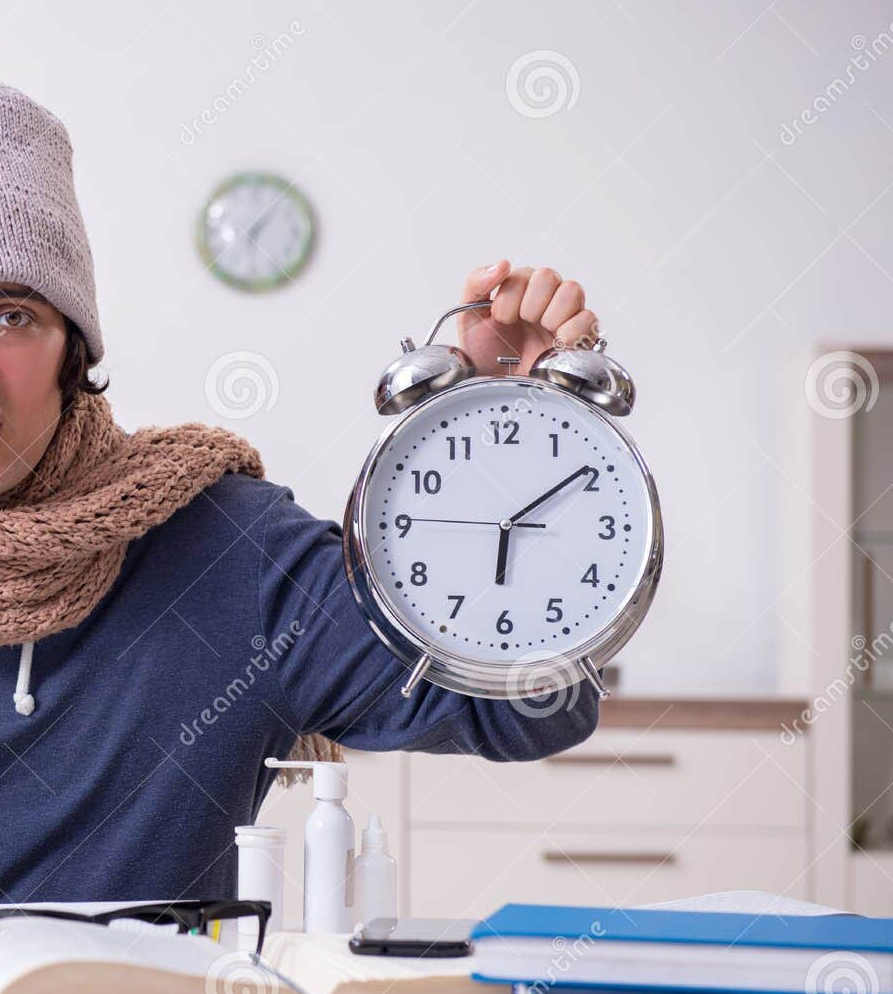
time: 6:09
